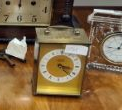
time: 3:22
